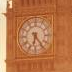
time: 6:23
